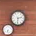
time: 2:31
